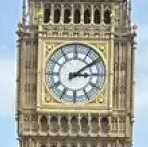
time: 3:09
